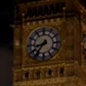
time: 8:36
